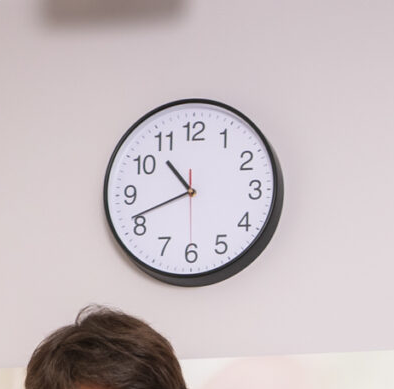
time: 10:41
